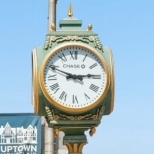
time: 2:49
